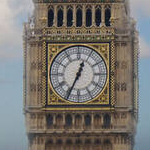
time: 12:34
